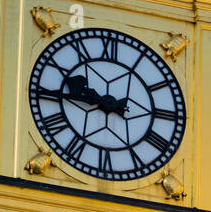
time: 9:45
